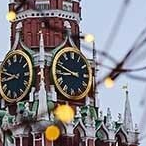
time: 8:48
